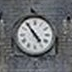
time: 4:54
